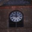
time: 11:46
